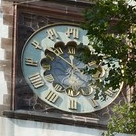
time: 11:51
